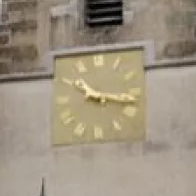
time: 10:17
